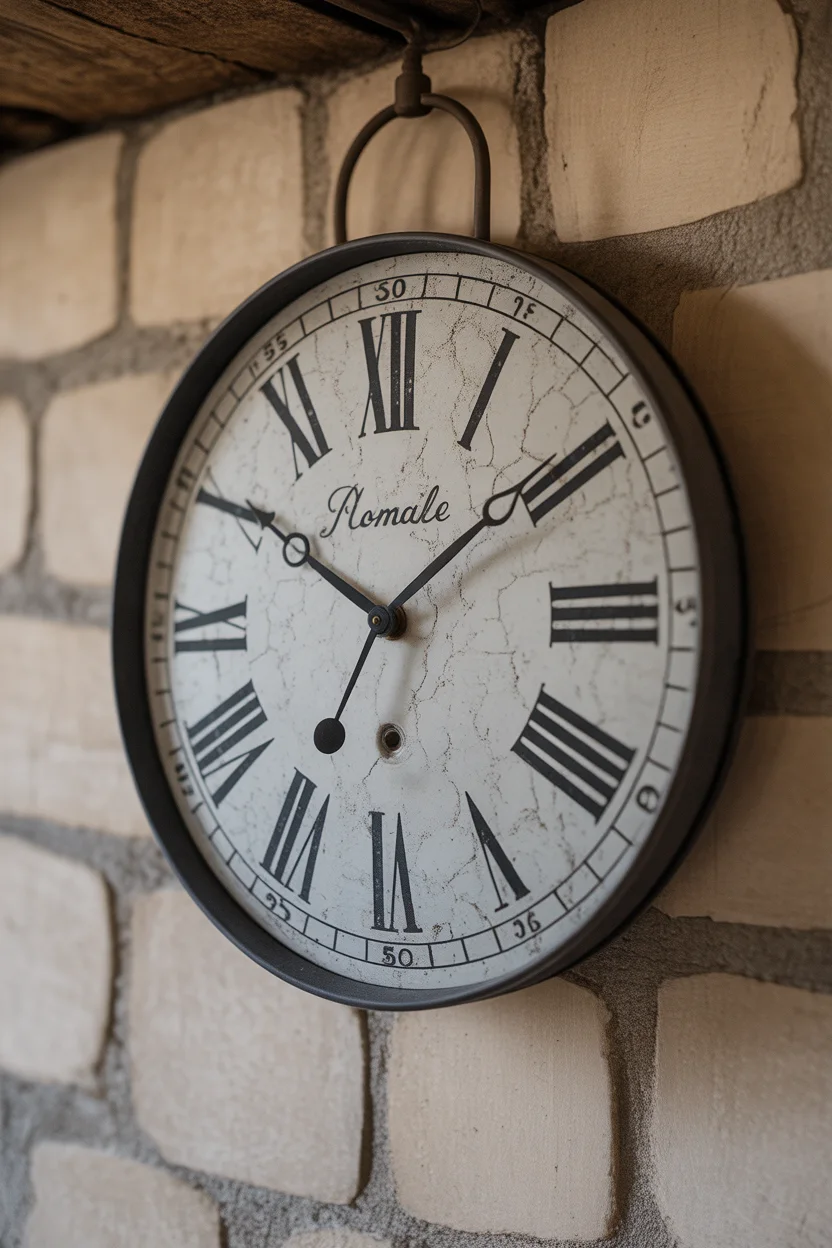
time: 1:50
